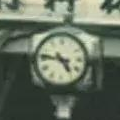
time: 4:46
